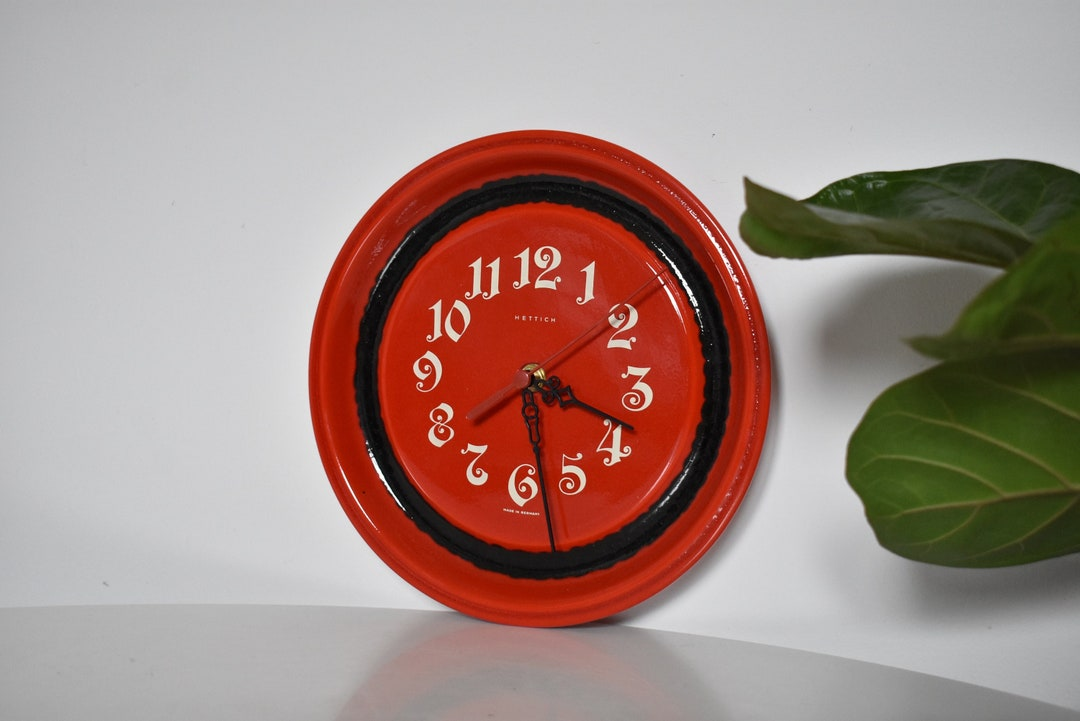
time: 3:28
